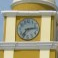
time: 7:13
